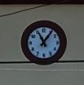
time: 11:06
